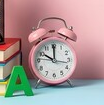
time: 10:00
